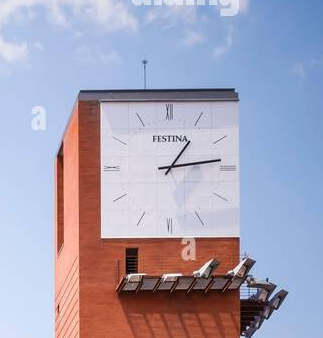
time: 1:13
